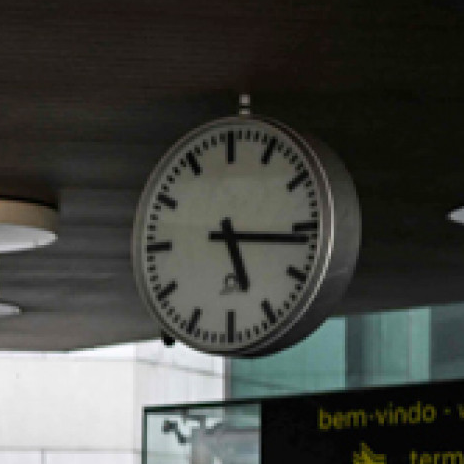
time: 5:16
